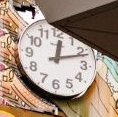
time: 12:10
